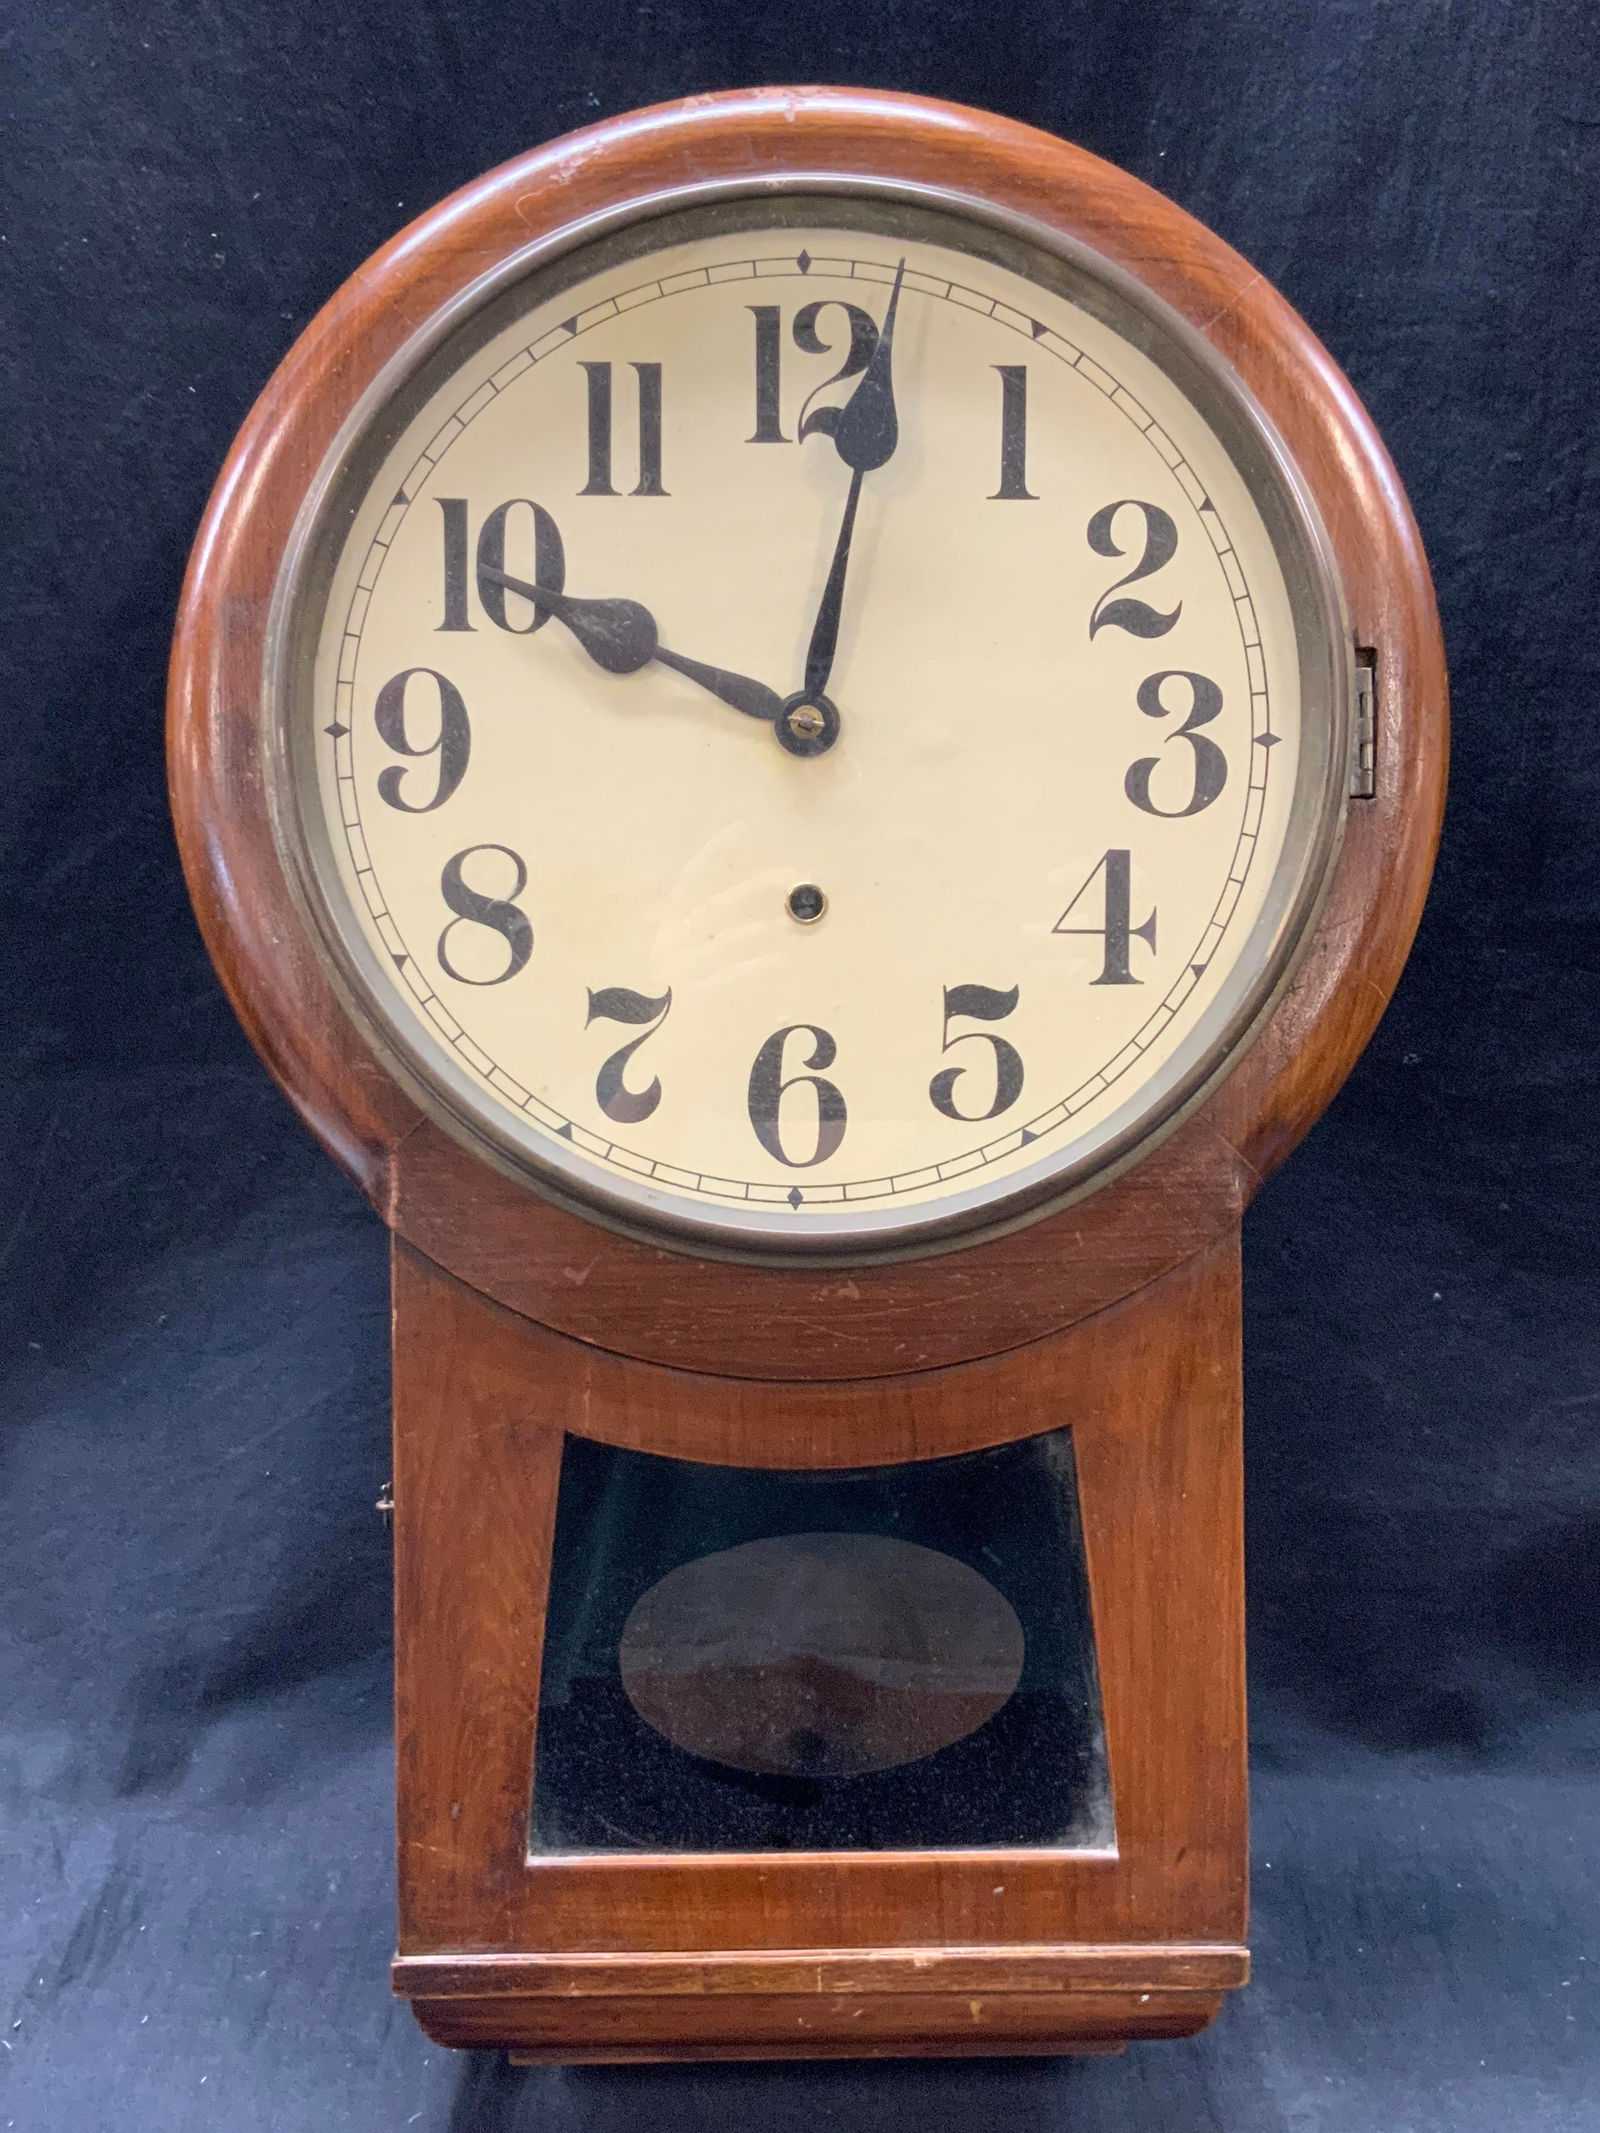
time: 10:01
